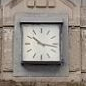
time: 10:16
